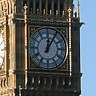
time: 12:05
